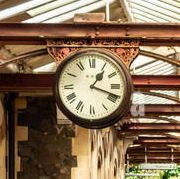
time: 1:18
